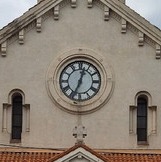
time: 12:34
